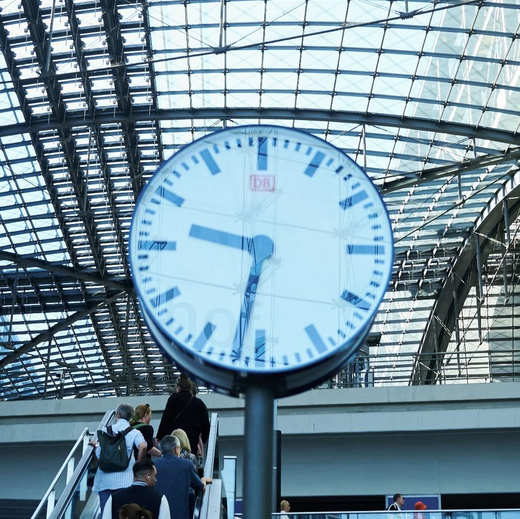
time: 9:32
